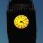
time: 4:10
